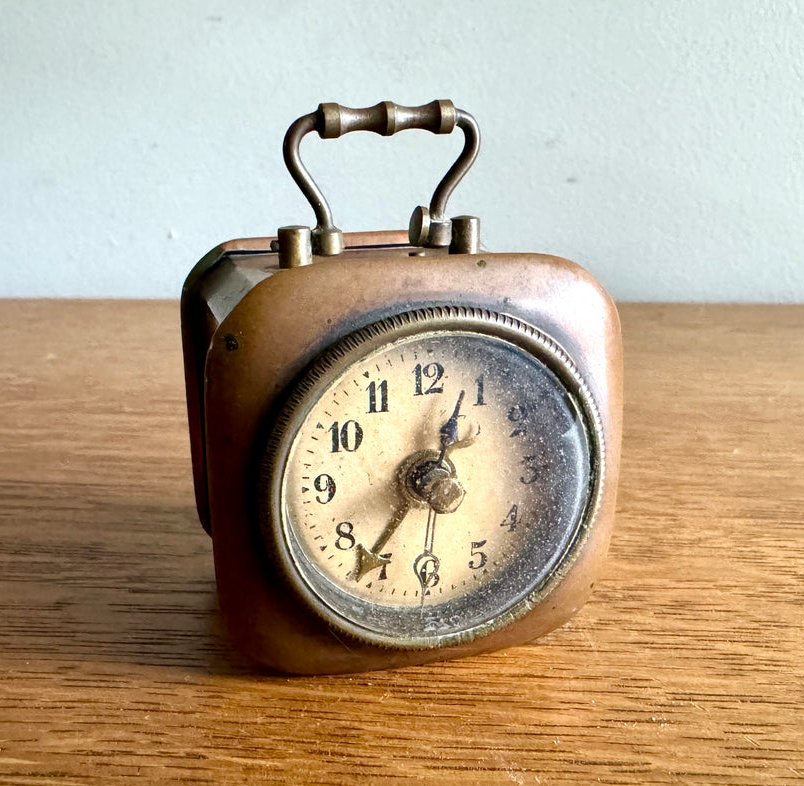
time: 12:35
